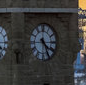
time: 4:26
